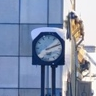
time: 2:11
